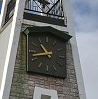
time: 10:42
